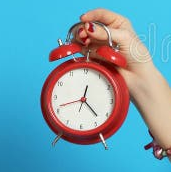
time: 12:22
